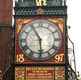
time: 5:54
